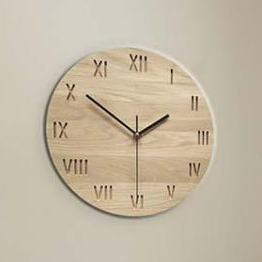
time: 1:50
